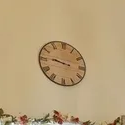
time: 9:15
